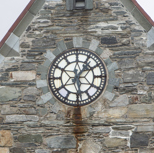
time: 1:28
